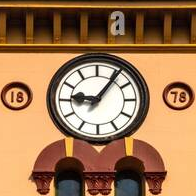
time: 9:06
